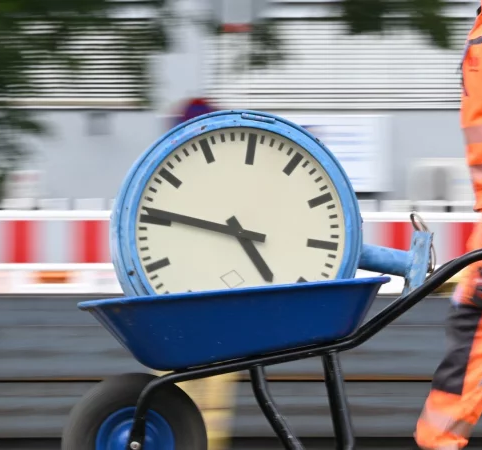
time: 4:46
